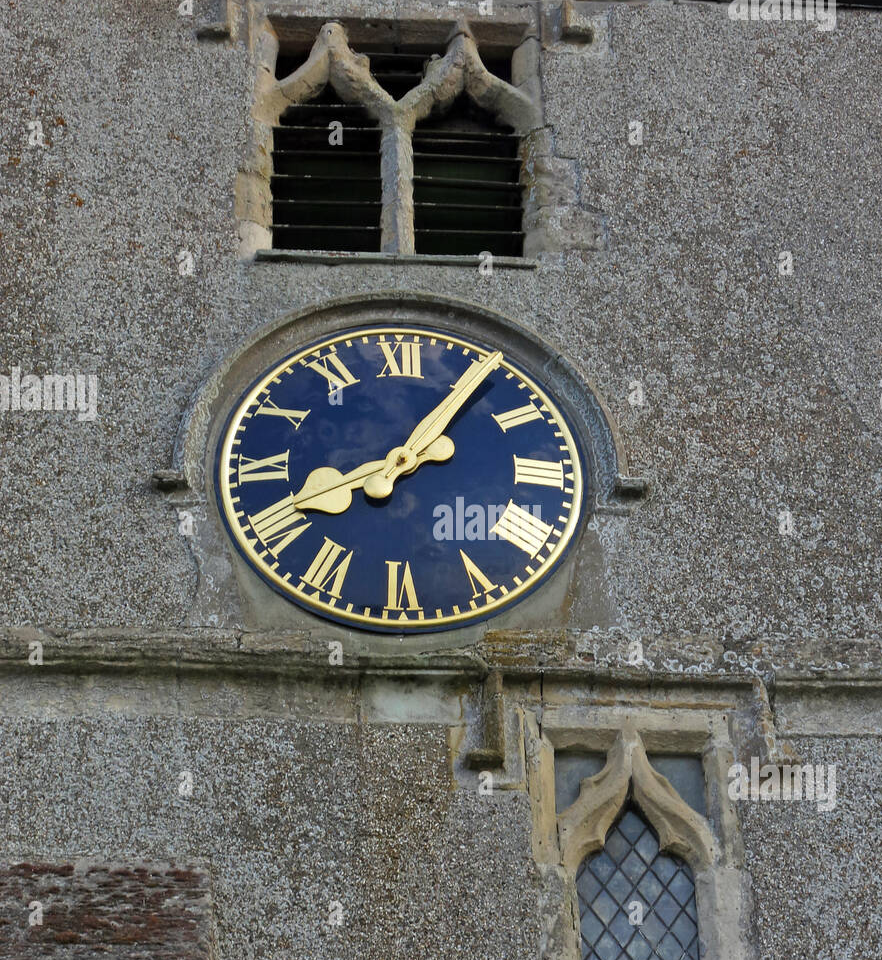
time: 8:05
